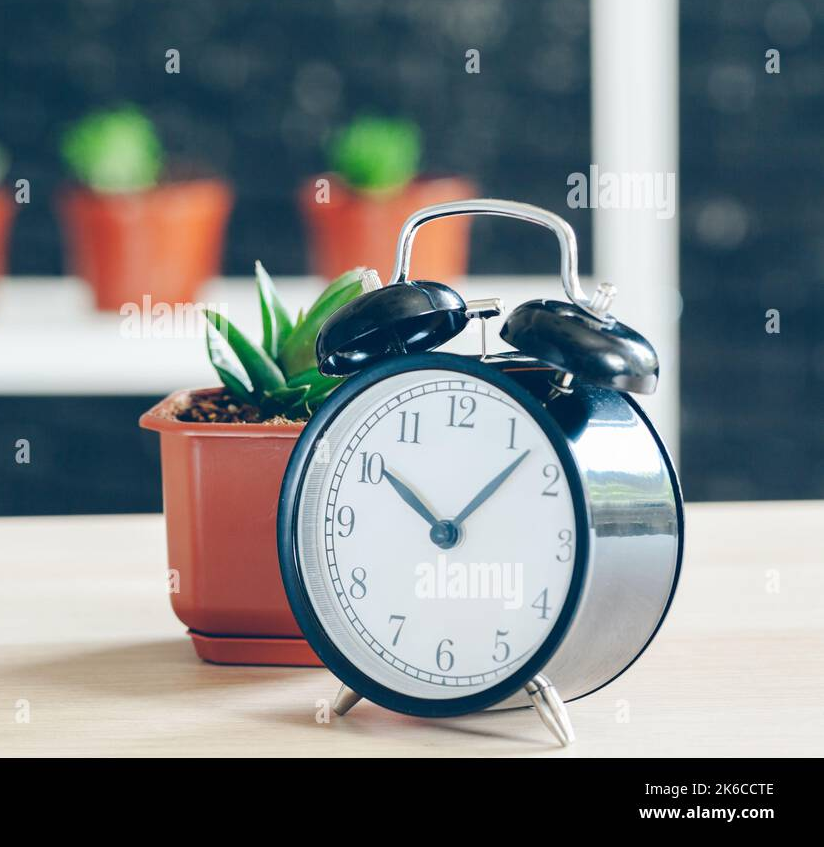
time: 10:07
